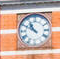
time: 10:50
